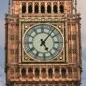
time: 5:06
